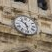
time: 10:28
